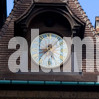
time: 8:38
